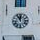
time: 11:55
